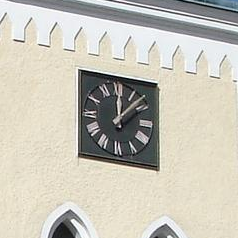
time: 12:07
